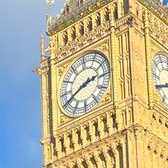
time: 2:40
